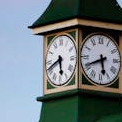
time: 5:41
